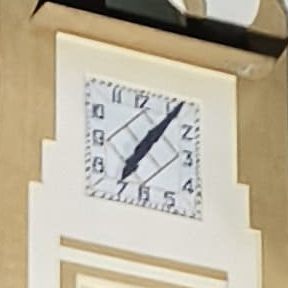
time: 7:06
